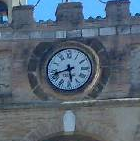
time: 5:42
